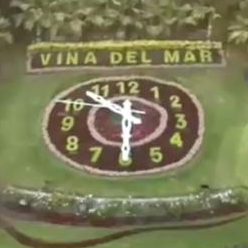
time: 10:30
